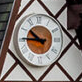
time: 10:45
